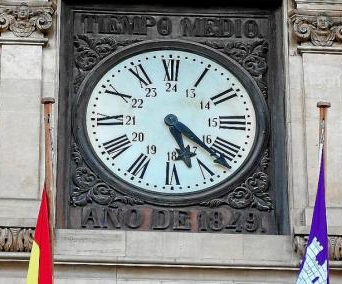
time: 5:21
